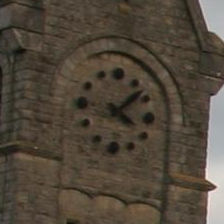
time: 4:07
